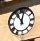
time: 11:02
